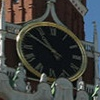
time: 10:50
